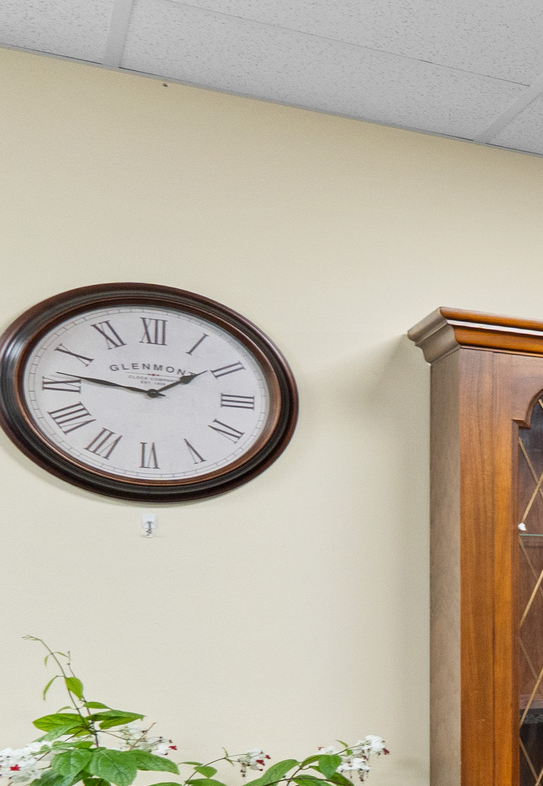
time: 1:46
